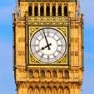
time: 7:56
